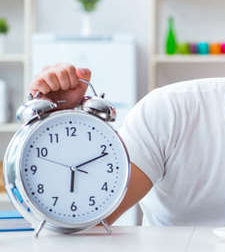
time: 6:11
